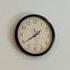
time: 1:39
